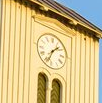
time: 1:33
